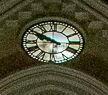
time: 9:50
